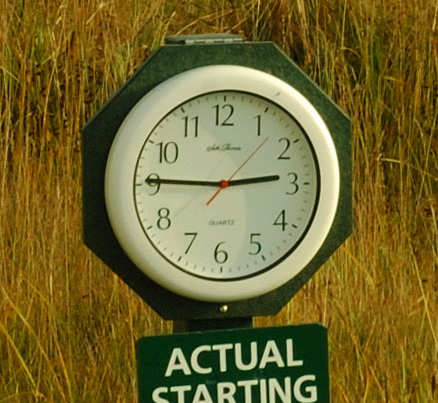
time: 2:45
